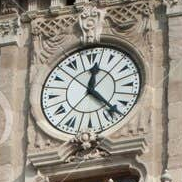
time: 12:22
